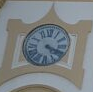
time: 4:18
